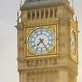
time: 7:25
